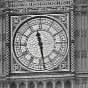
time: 11:28
